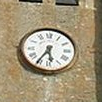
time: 5:35
